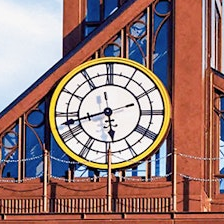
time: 5:42
